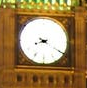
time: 8:20
